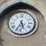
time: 5:35
